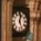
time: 12:26
